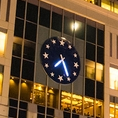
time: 7:25
